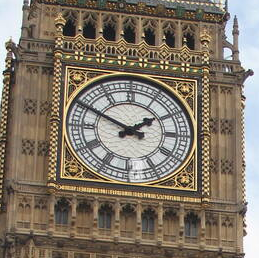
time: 1:49
